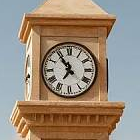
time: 6:54
